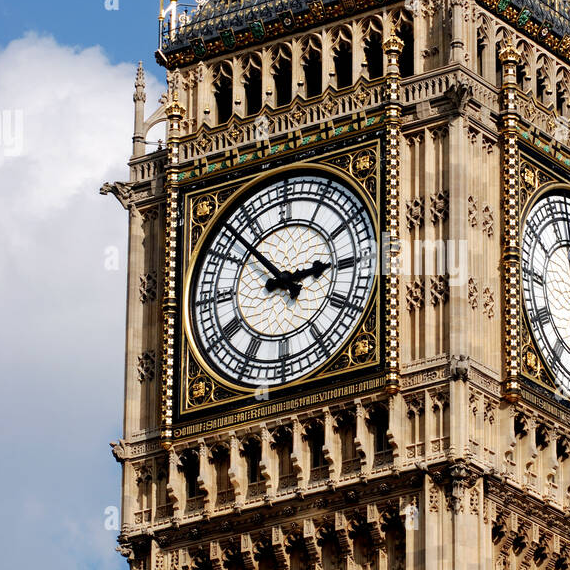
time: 2:52
